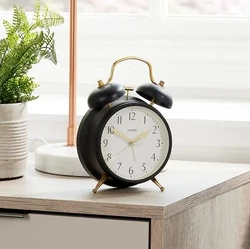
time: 1:50
